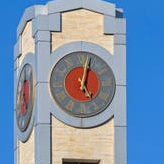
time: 5:03
